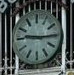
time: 9:15
